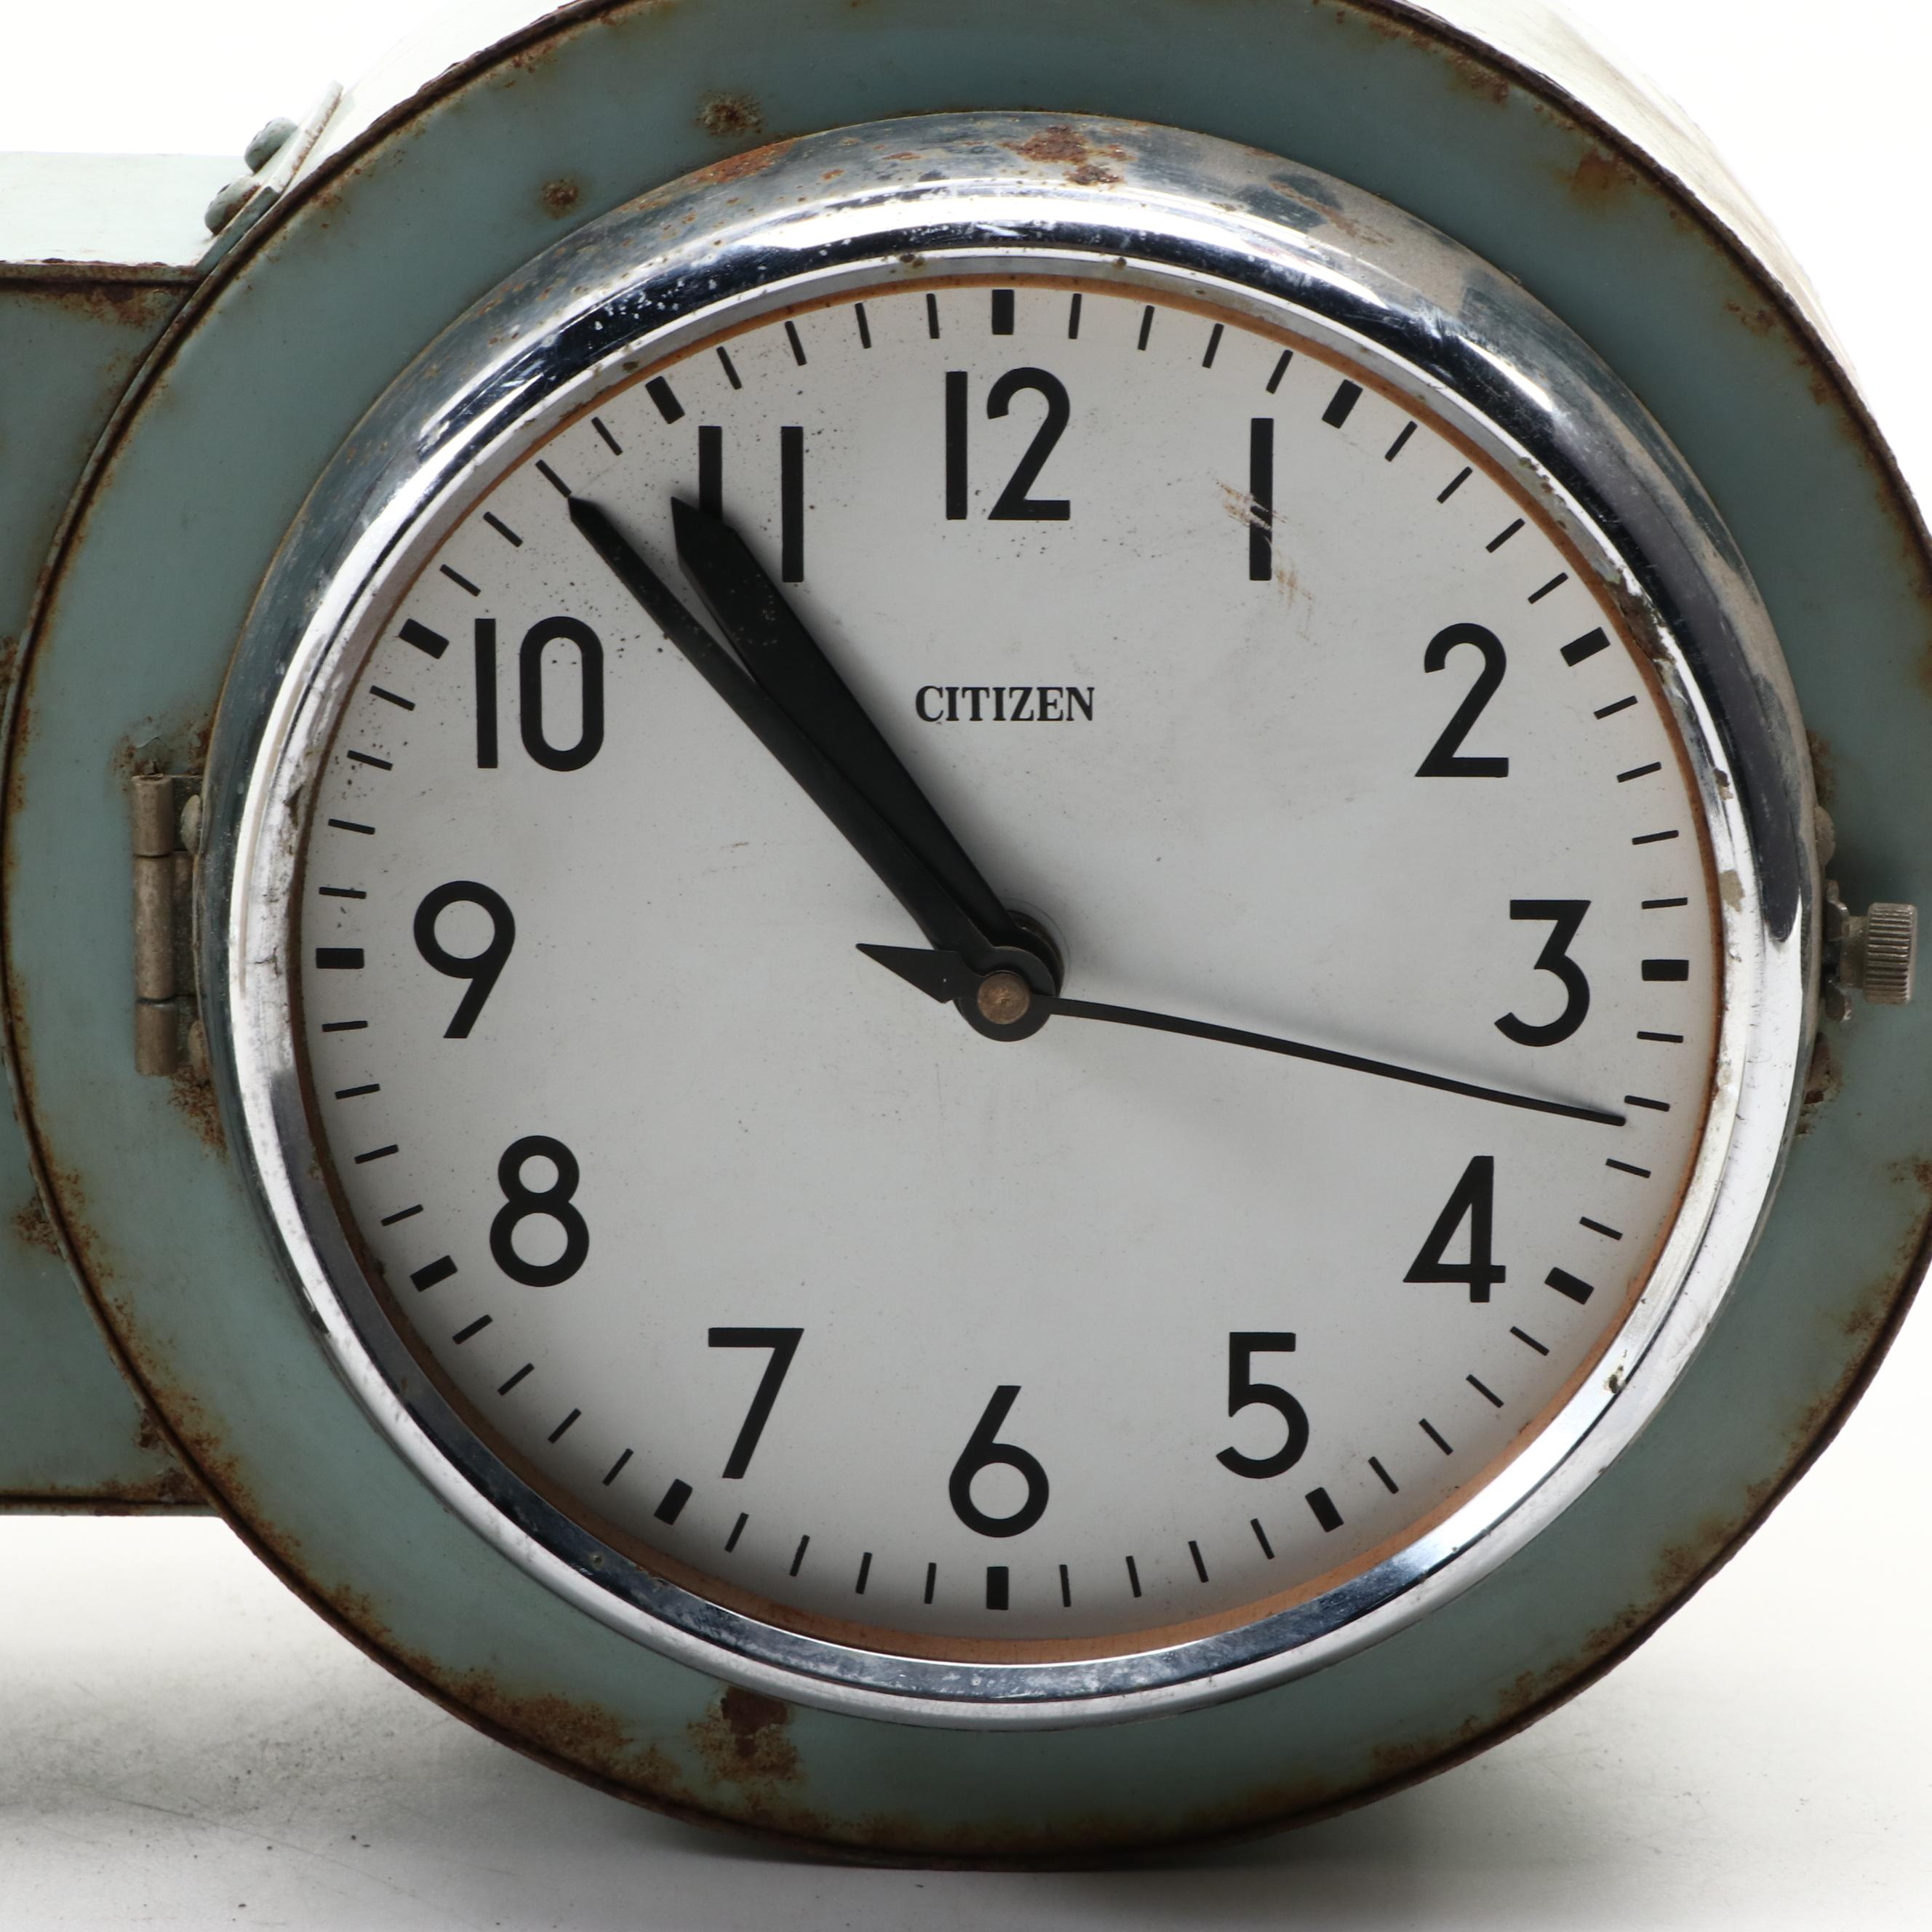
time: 10:53
